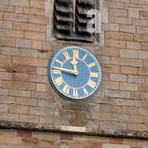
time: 11:46
